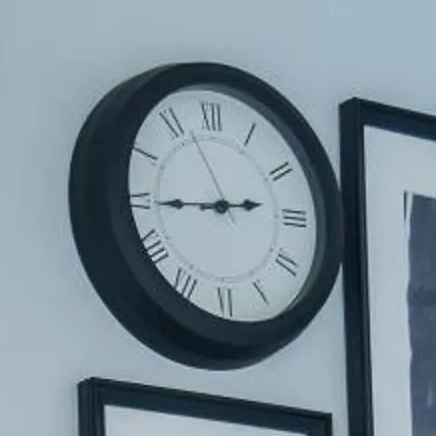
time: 2:44
